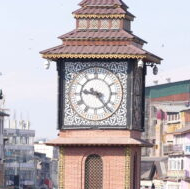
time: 9:23
